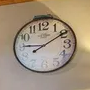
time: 9:09
